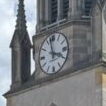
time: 3:58
